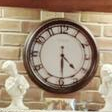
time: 4:29
